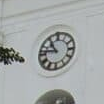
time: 10:46
